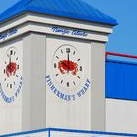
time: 10:00
